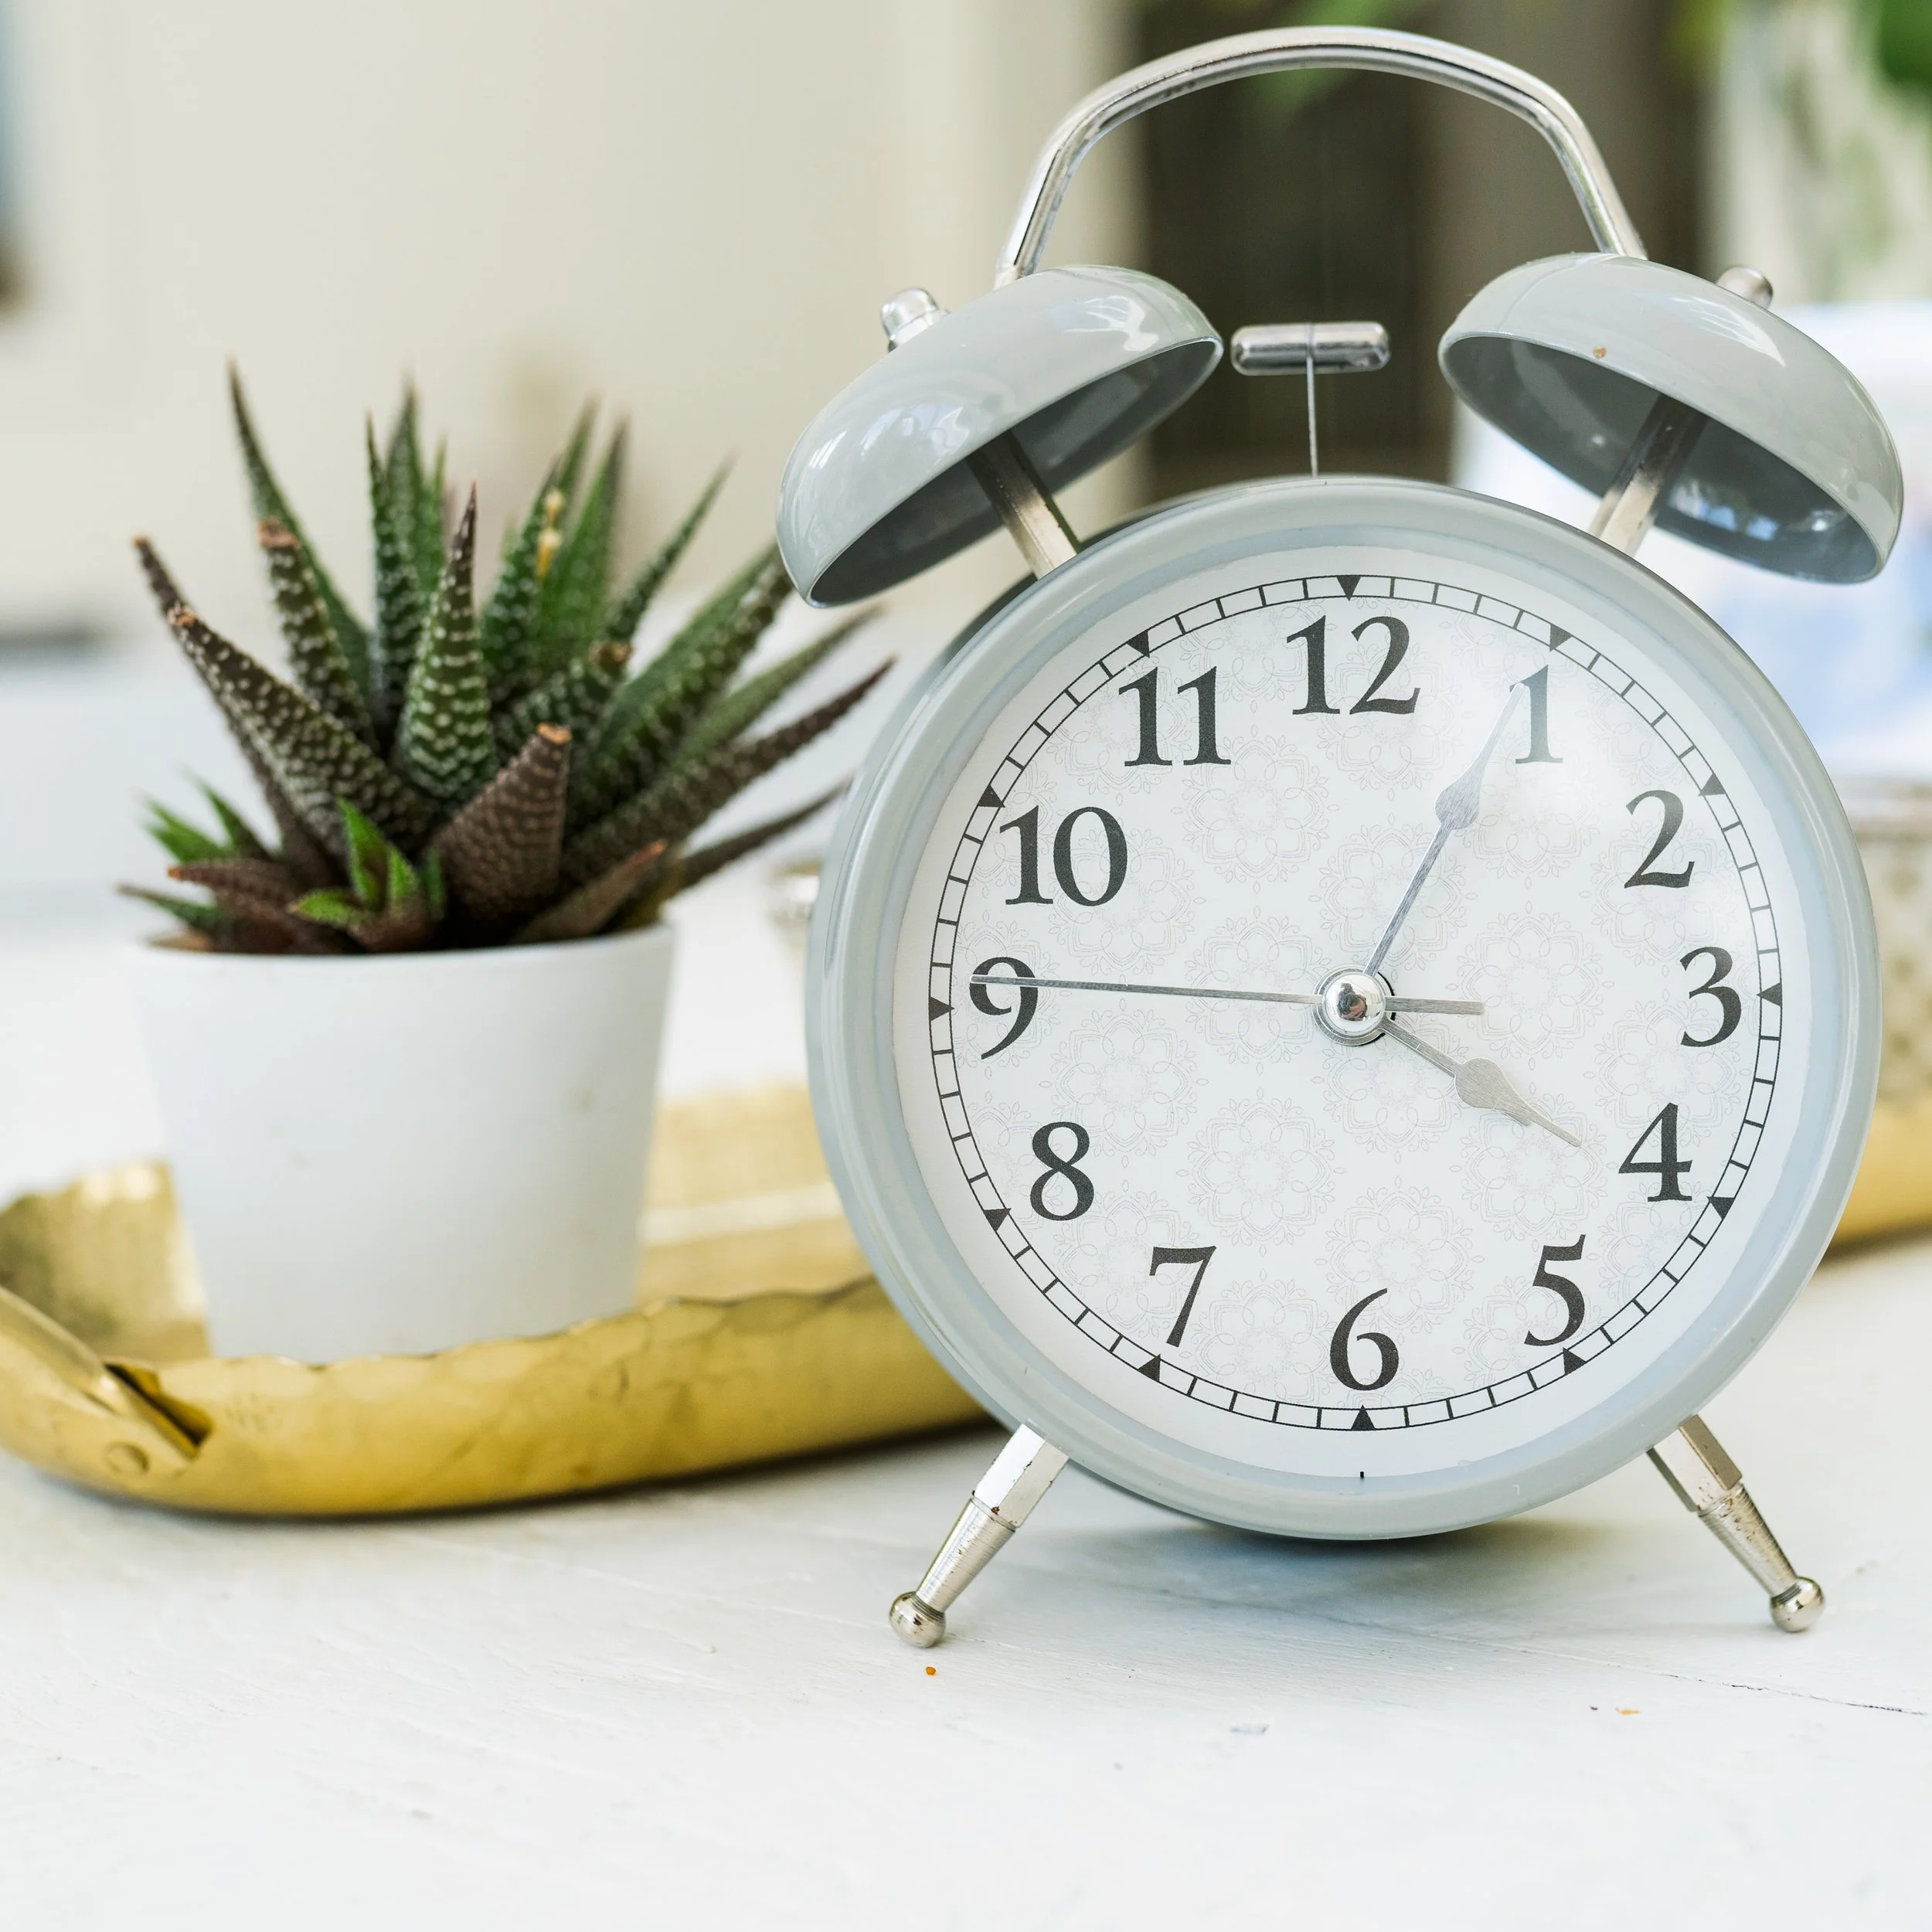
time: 4:04
